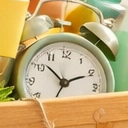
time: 1:52
